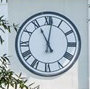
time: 11:01
